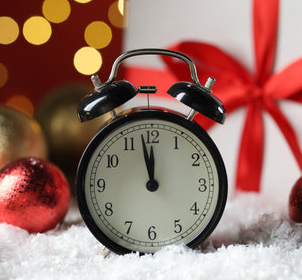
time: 11:58
